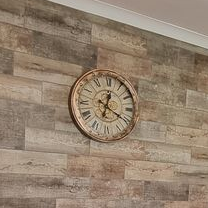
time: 12:19
